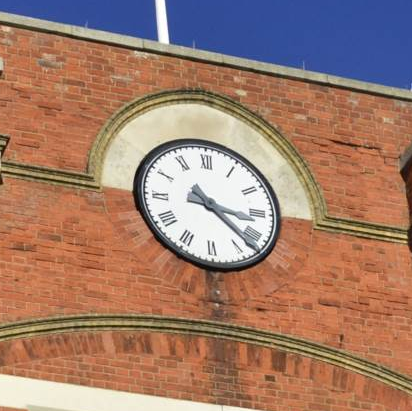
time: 3:22
